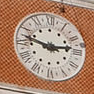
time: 2:47
